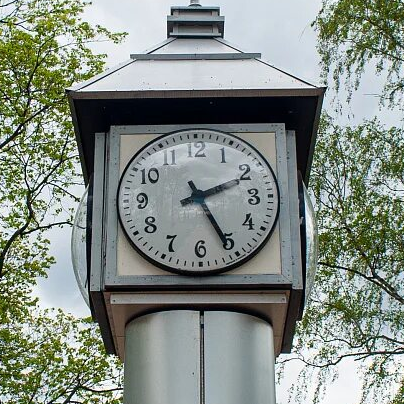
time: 2:25
